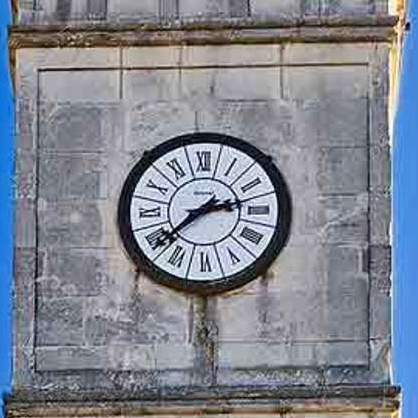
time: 2:38
